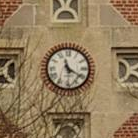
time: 11:20
